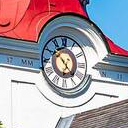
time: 4:52
